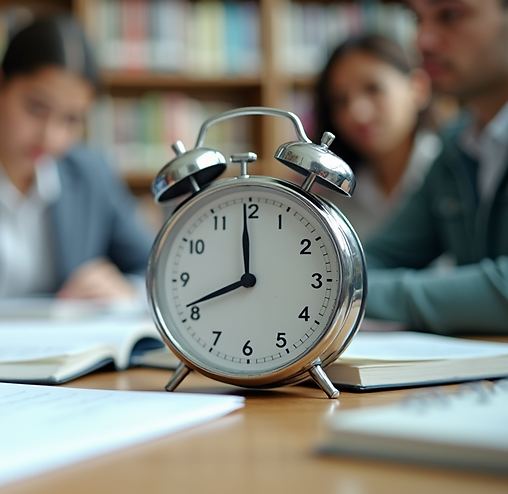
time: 11:41
